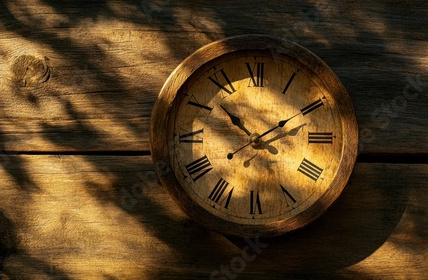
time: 1:52
